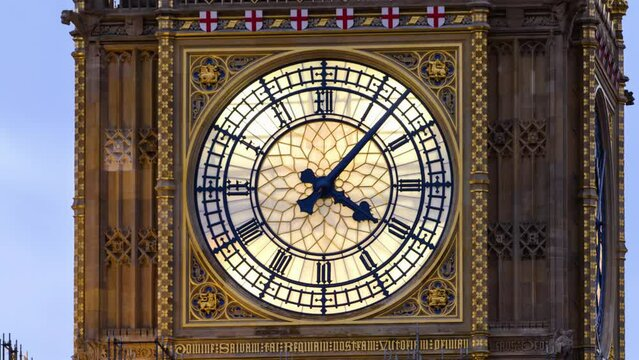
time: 4:07
